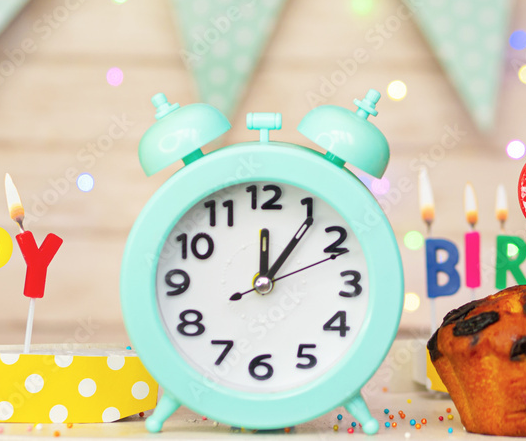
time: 12:06
